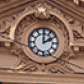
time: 2:00
